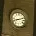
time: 8:11
